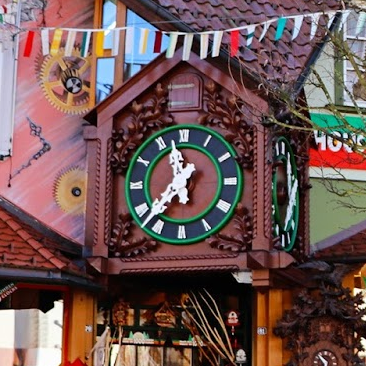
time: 11:37
